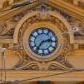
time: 2:36
